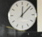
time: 12:07
